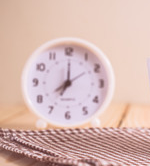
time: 7:00
